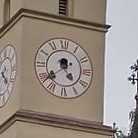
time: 4:38
